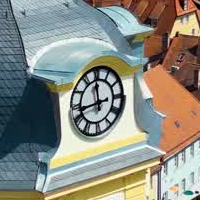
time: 11:43
